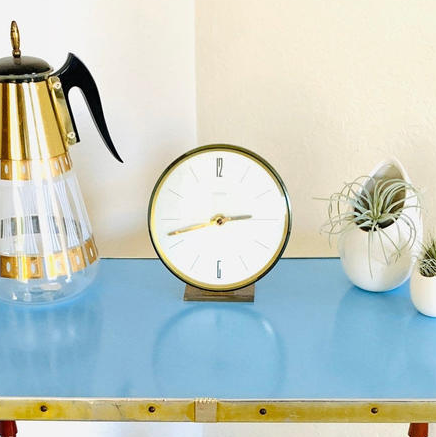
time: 2:42
